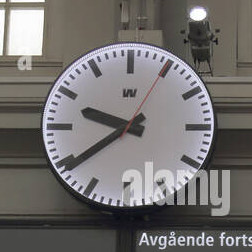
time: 9:39
